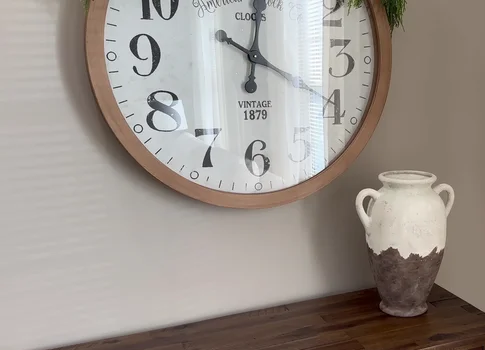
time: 12:19
